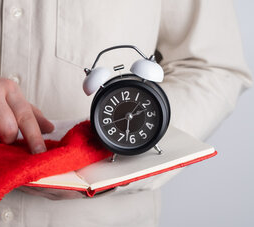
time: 2:32
